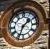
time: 1:33
